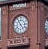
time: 4:54
